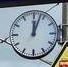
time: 12:03
